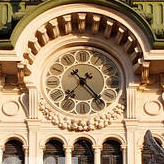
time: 7:23
